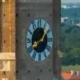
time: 12:40
